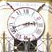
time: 2:42
